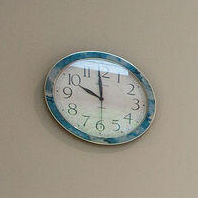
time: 9:59
